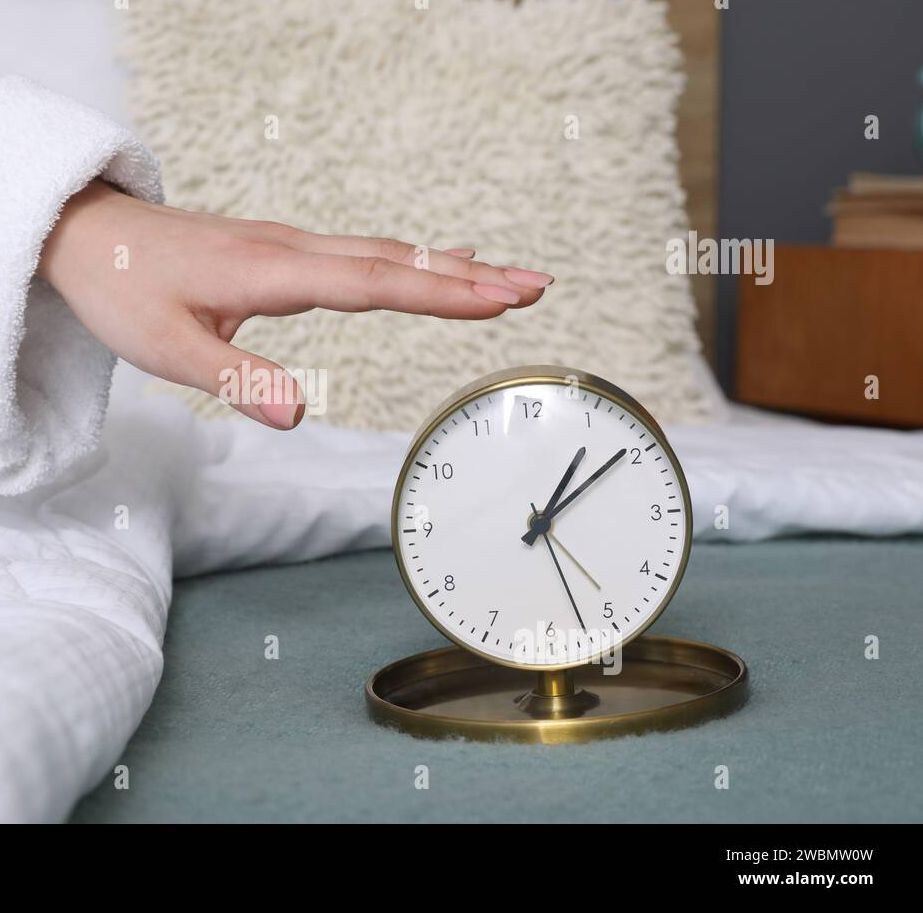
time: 1:09
